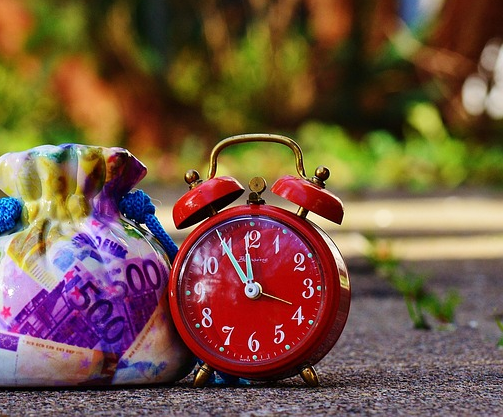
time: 11:54
